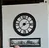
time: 2:38
